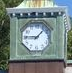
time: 9:07
